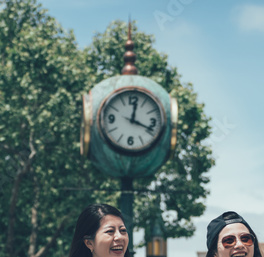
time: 12:18
